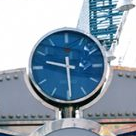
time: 9:29
